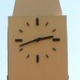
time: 2:41
